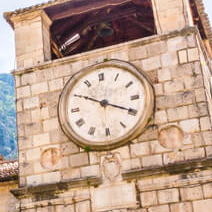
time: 3:50
